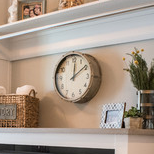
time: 12:09
